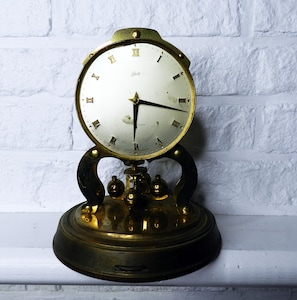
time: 6:17
